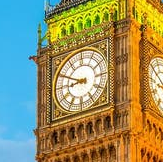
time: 8:49
